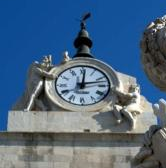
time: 12:12
